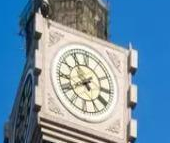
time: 7:54
